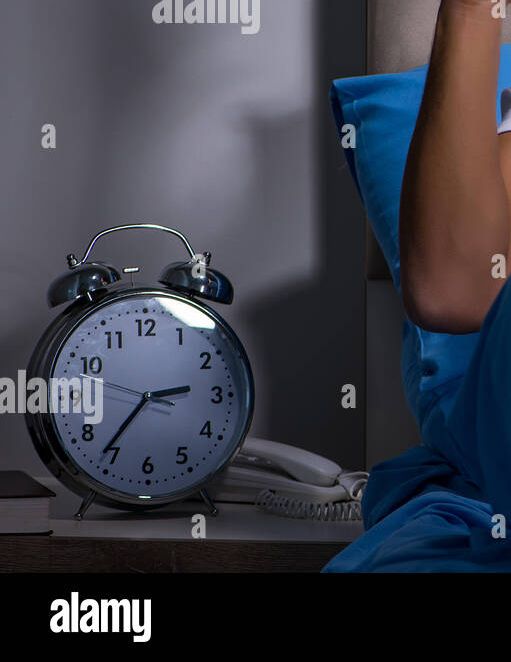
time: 2:36
